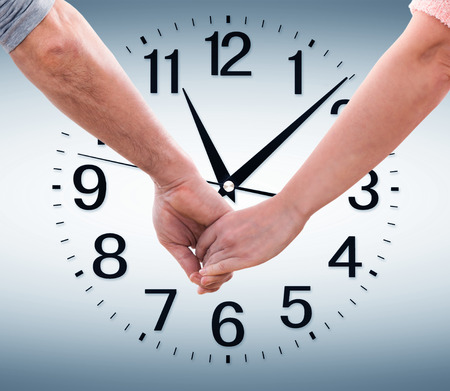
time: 11:08
